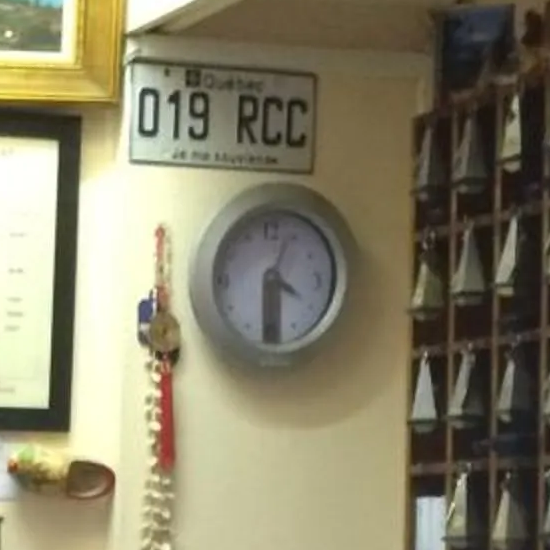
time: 6:03
